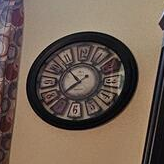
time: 7:52
